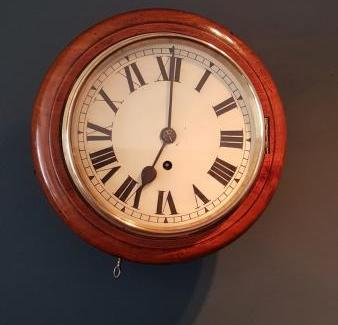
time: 7:00
